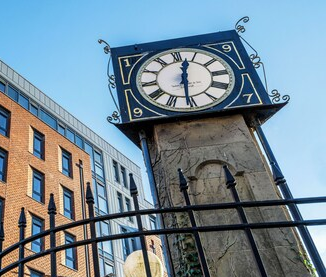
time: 12:30
